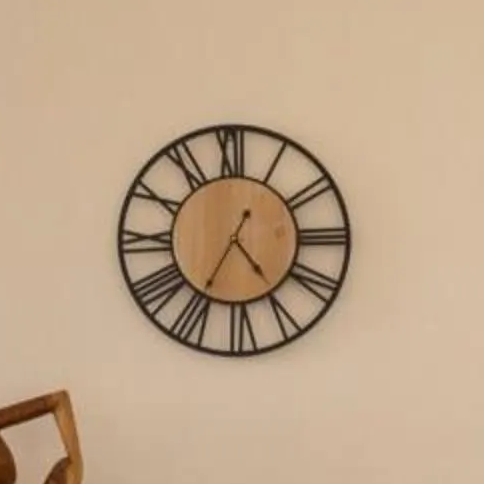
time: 4:35
